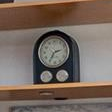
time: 2:35
